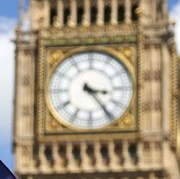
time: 3:23
